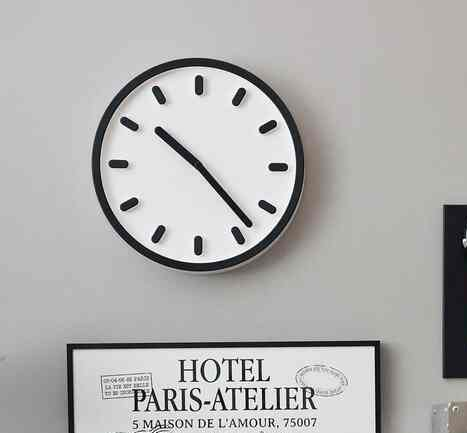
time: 10:23
